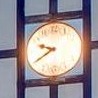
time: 9:40
